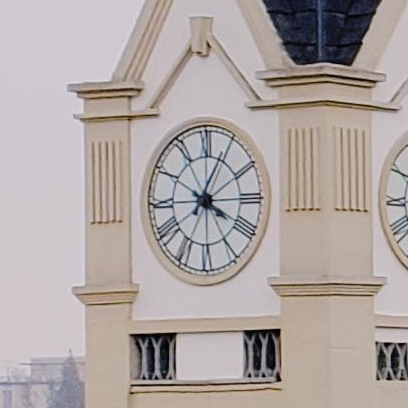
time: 4:04
